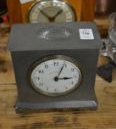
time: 3:04
